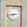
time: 2:42
